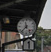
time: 11:37
